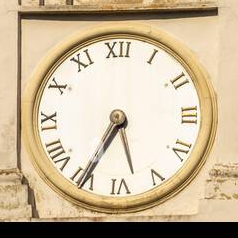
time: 5:35
